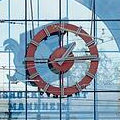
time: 1:14
